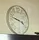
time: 3:47
